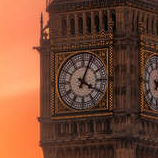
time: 4:04
